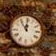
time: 11:53
